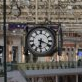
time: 6:18
